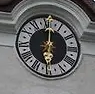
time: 6:01
